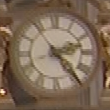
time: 2:23
